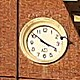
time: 3:51
